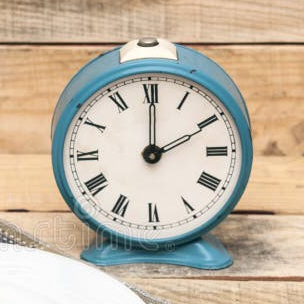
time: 2:00
